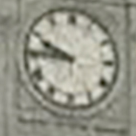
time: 9:45
